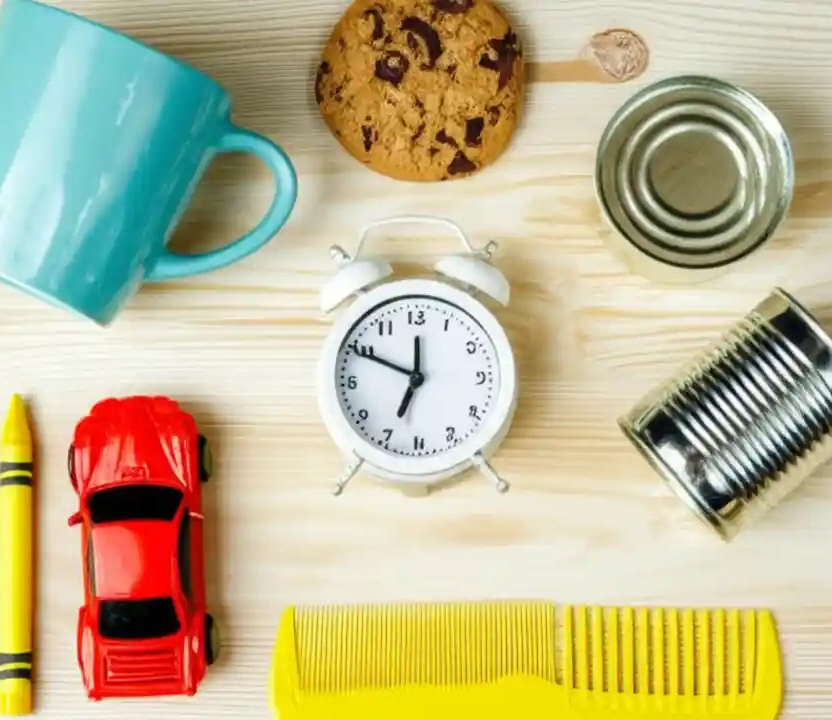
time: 6:49
